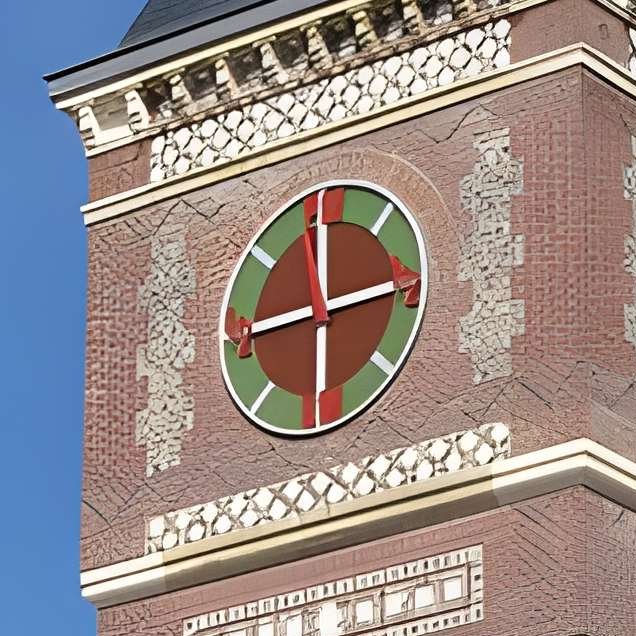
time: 8:12
